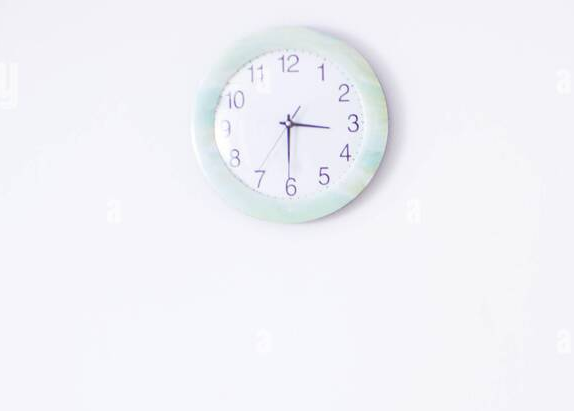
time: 3:30
